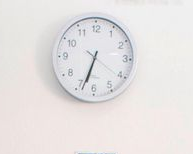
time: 6:33
